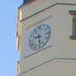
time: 9:28
